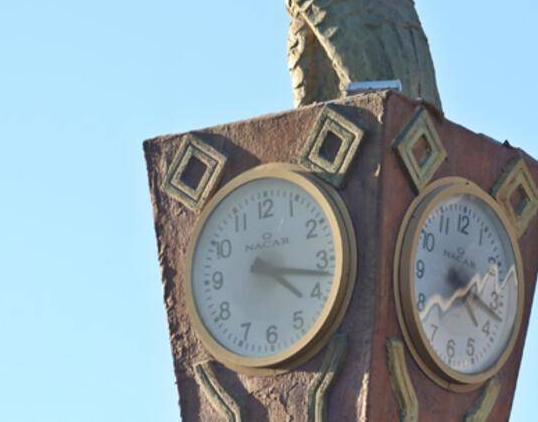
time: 4:17
